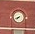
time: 7:41
